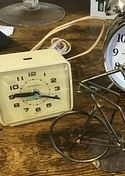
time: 9:20
